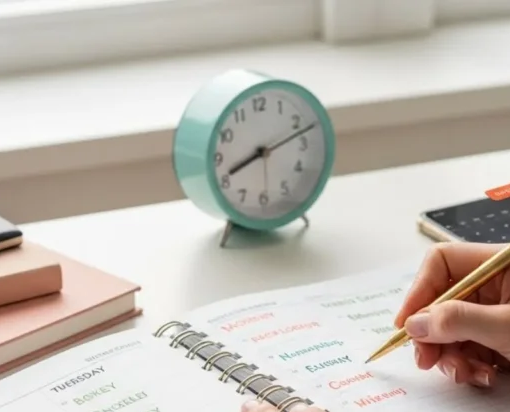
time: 8:12
